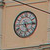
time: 5:14
